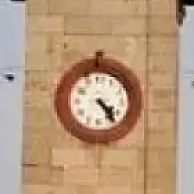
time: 4:23
